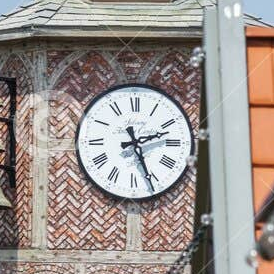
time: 2:26
